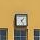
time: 1:24
